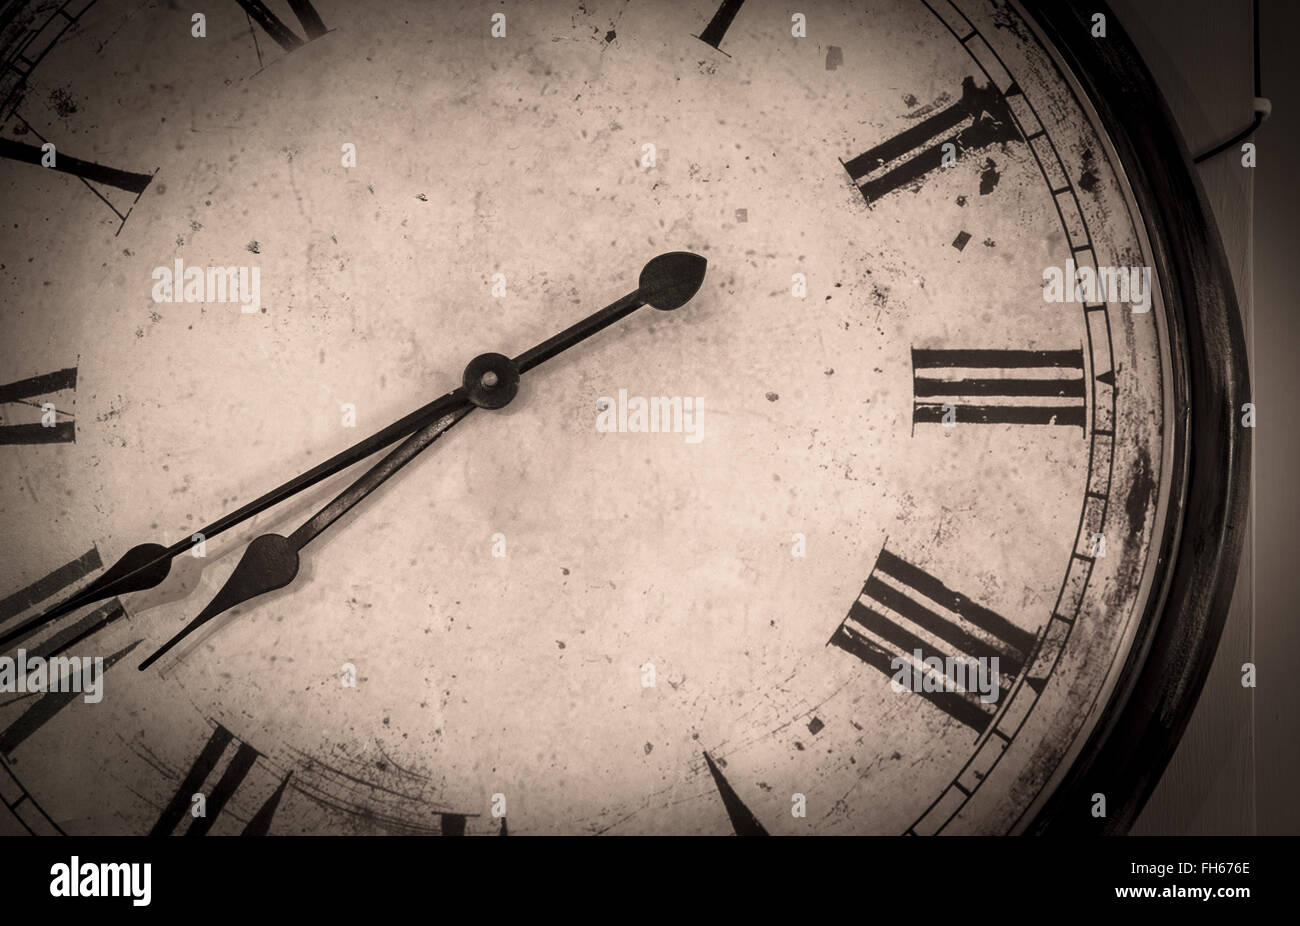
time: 7:40
